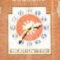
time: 2:36
